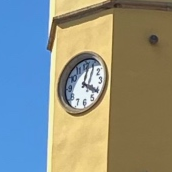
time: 4:02
